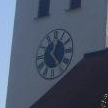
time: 12:23
